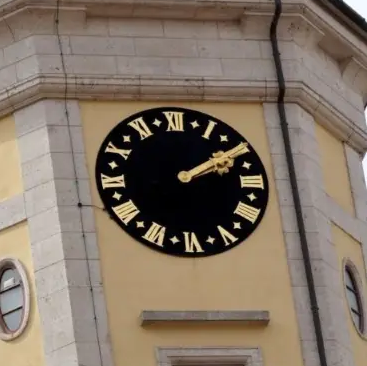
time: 2:09
